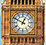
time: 12:49
